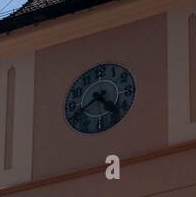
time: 4:40
